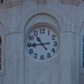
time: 10:44
